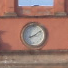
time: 8:09
